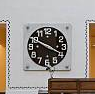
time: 3:49
